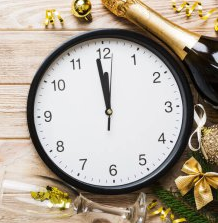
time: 11:58
